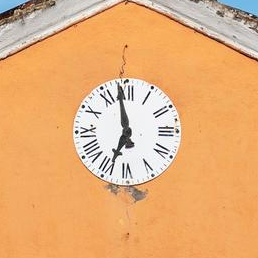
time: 6:58
